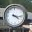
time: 4:16
